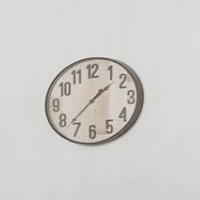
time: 1:37
